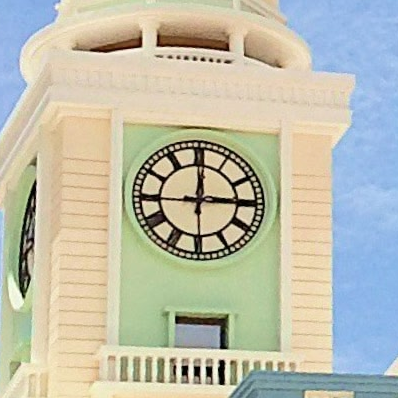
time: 2:59
